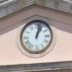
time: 1:02
